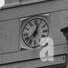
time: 12:37
